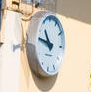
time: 10:47
